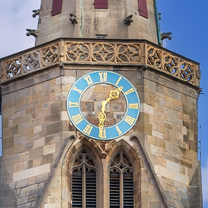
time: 1:31
